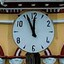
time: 11:55
